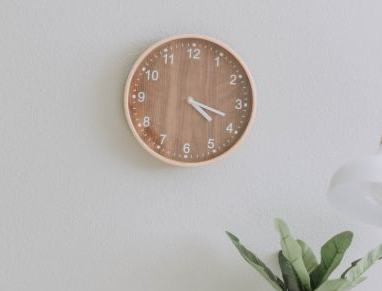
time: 4:18
